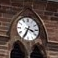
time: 3:34
